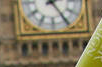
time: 2:24
